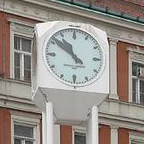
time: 10:51
